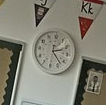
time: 2:22
